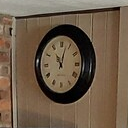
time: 11:03
